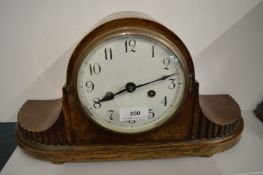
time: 8:12
